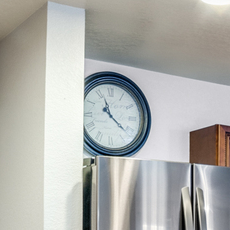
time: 11:21
